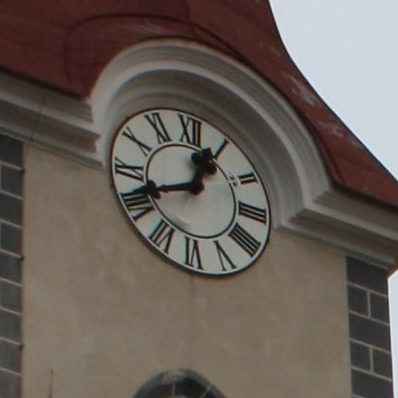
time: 12:41
